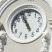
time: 4:56
